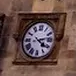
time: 4:13
